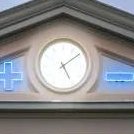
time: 5:08
